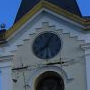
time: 8:03
